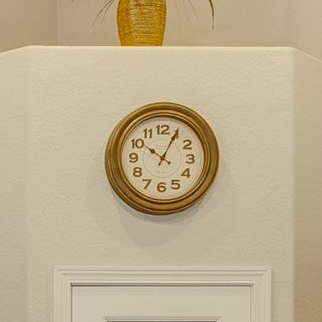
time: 10:04
